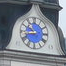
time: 8:50
